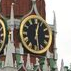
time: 12:28
